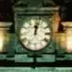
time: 12:02
